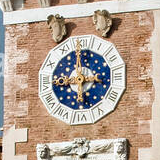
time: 5:59
